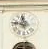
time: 11:46
